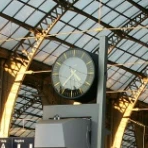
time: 4:36
